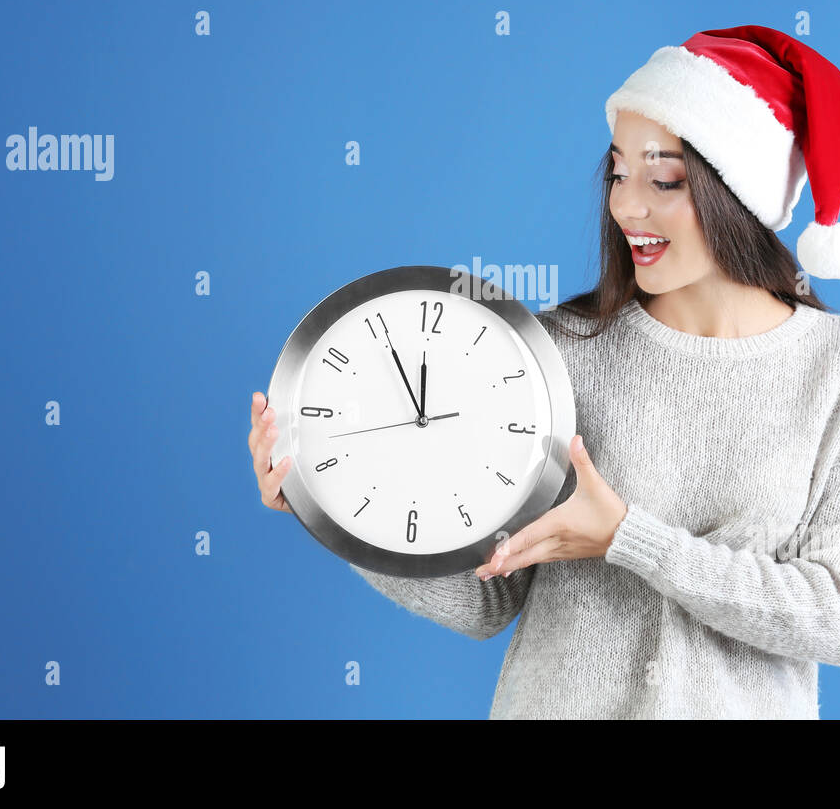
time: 11:55
